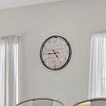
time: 4:44
